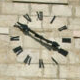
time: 3:50
